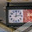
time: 12:13
